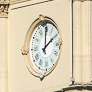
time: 2:00
